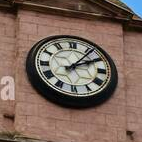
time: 2:06
